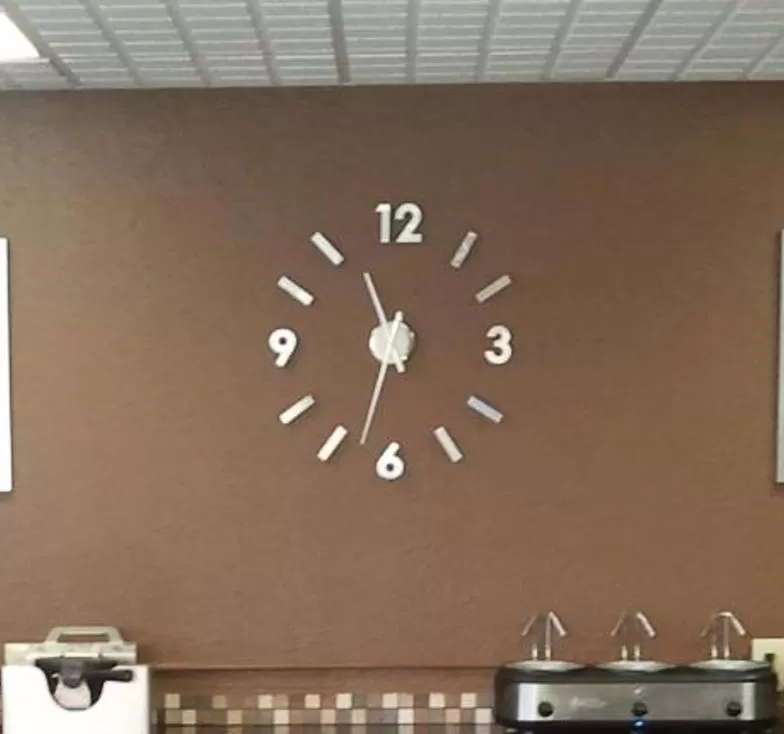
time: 11:32
